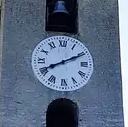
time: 8:10
